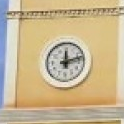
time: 12:12
